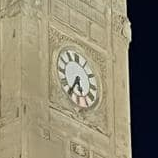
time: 5:35
